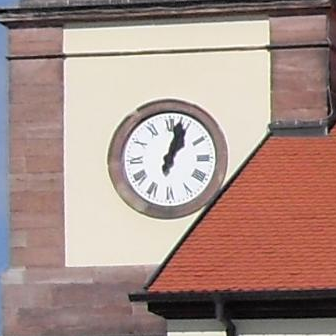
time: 1:02
